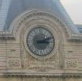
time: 3:11
